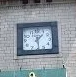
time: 1:28
